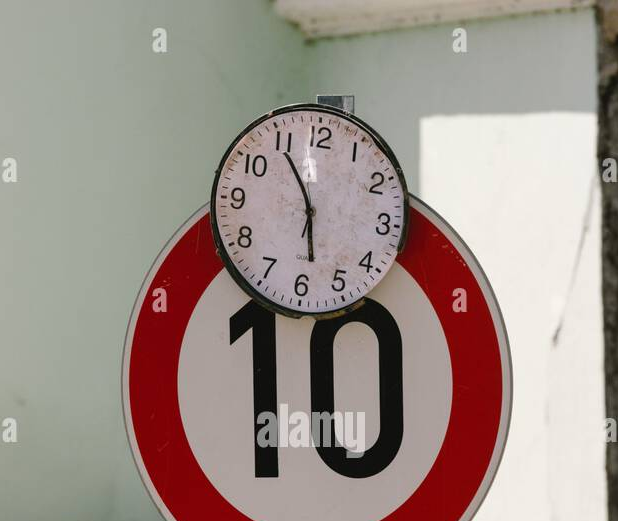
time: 5:54
